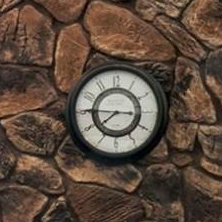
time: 7:45
